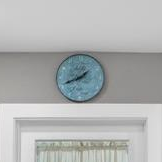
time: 1:41
